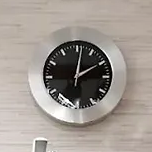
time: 2:01
